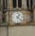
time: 1:22
